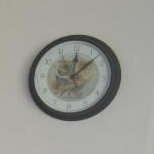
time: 12:07
